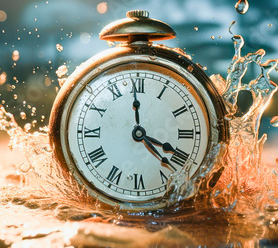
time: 3:58
